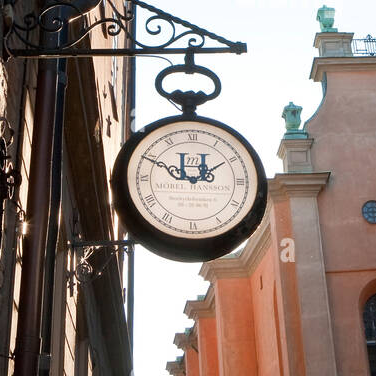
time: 1:49
